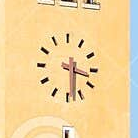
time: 3:29
